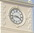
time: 3:43
